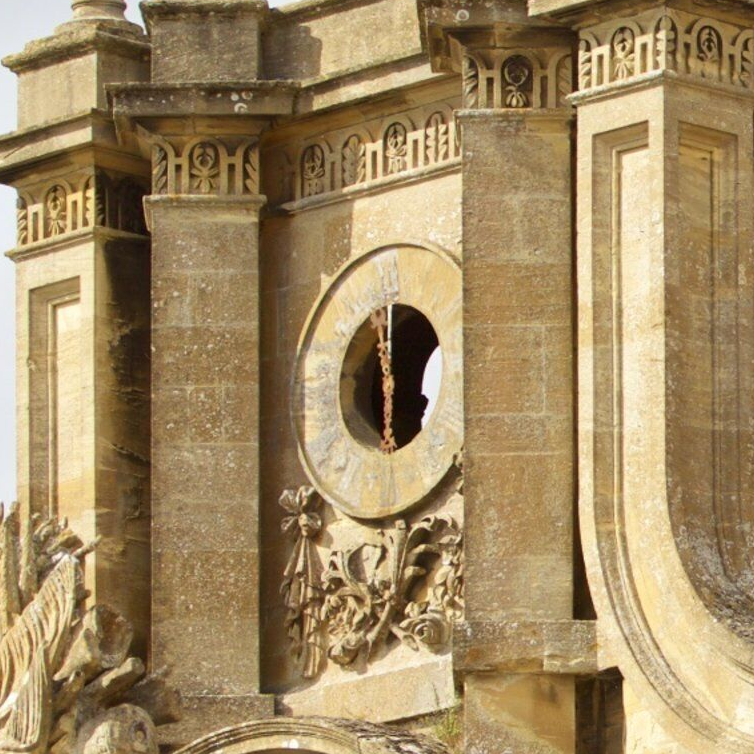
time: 5:59
